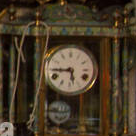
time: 5:44
